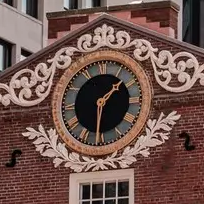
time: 1:31
